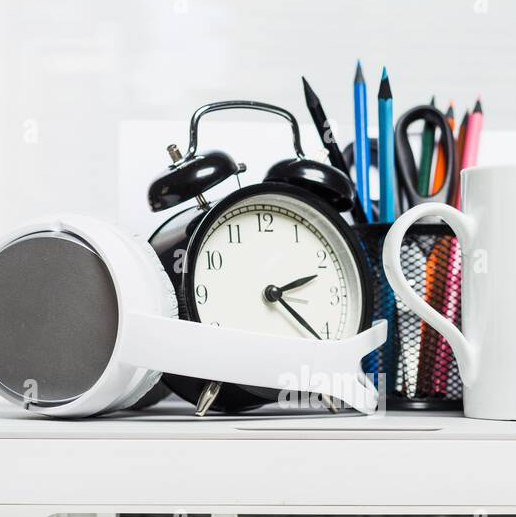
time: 2:21
